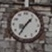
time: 1:35
